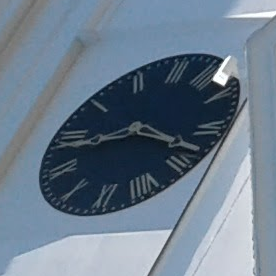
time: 3:43
